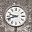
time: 9:42
